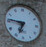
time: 6:46
